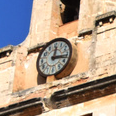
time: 12:16
